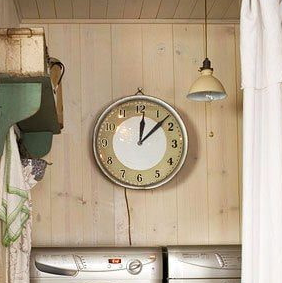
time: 12:07
